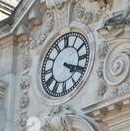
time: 4:19
